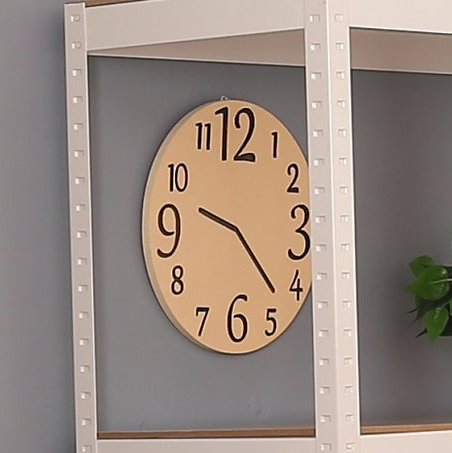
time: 9:22
